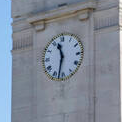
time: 11:32
